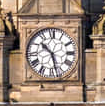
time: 10:28
